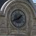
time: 1:41
